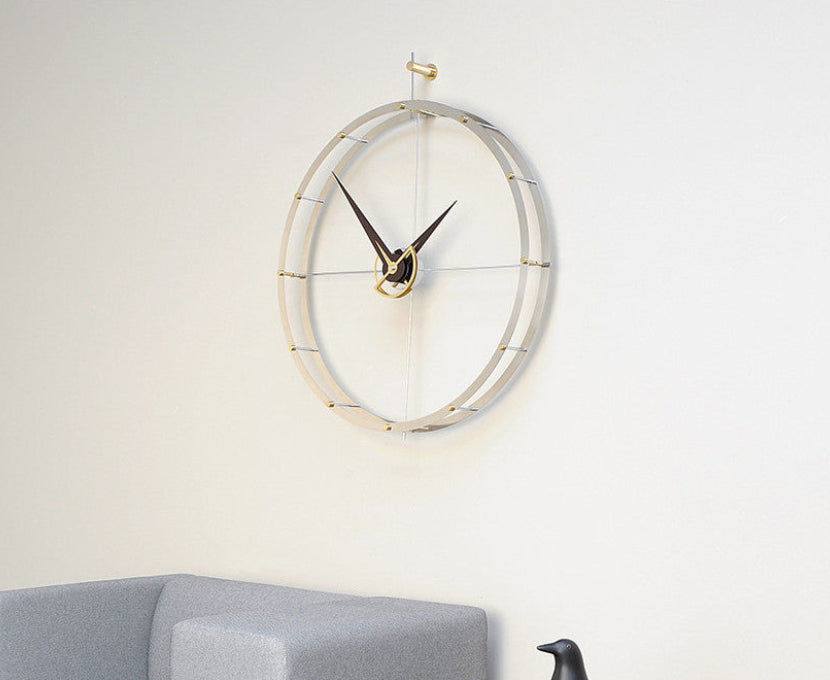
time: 1:52
